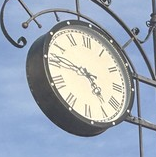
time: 4:45
